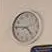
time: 4:45
